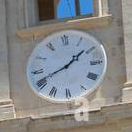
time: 1:41
